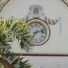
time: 7:12
